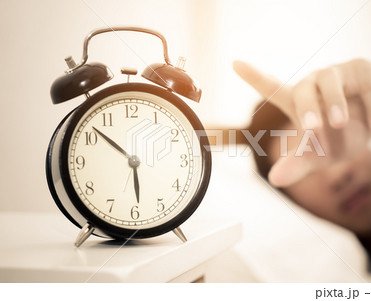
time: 5:52
